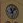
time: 11:07
